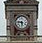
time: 5:46
